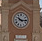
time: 10:15
